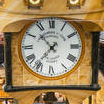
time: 10:36
